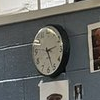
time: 2:26
